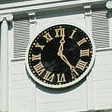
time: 12:23
